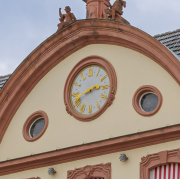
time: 2:41
